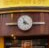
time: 3:57
